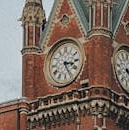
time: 3:25
